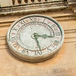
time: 3:28
